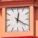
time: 12:20
